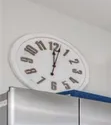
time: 12:02
